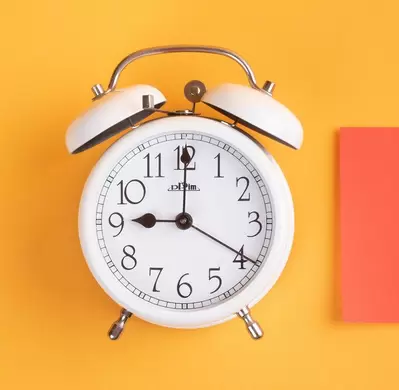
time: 9:00
